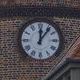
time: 12:06
